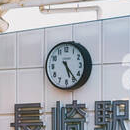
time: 5:23
